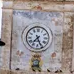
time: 7:25
